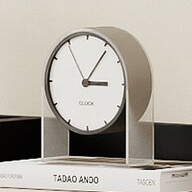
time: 3:05
